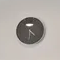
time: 4:29
